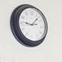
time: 9:07
